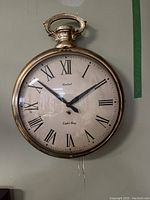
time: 1:51
